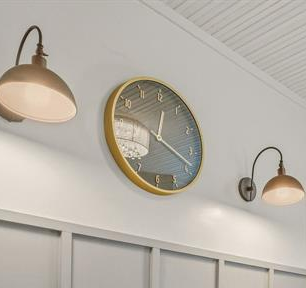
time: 12:18
